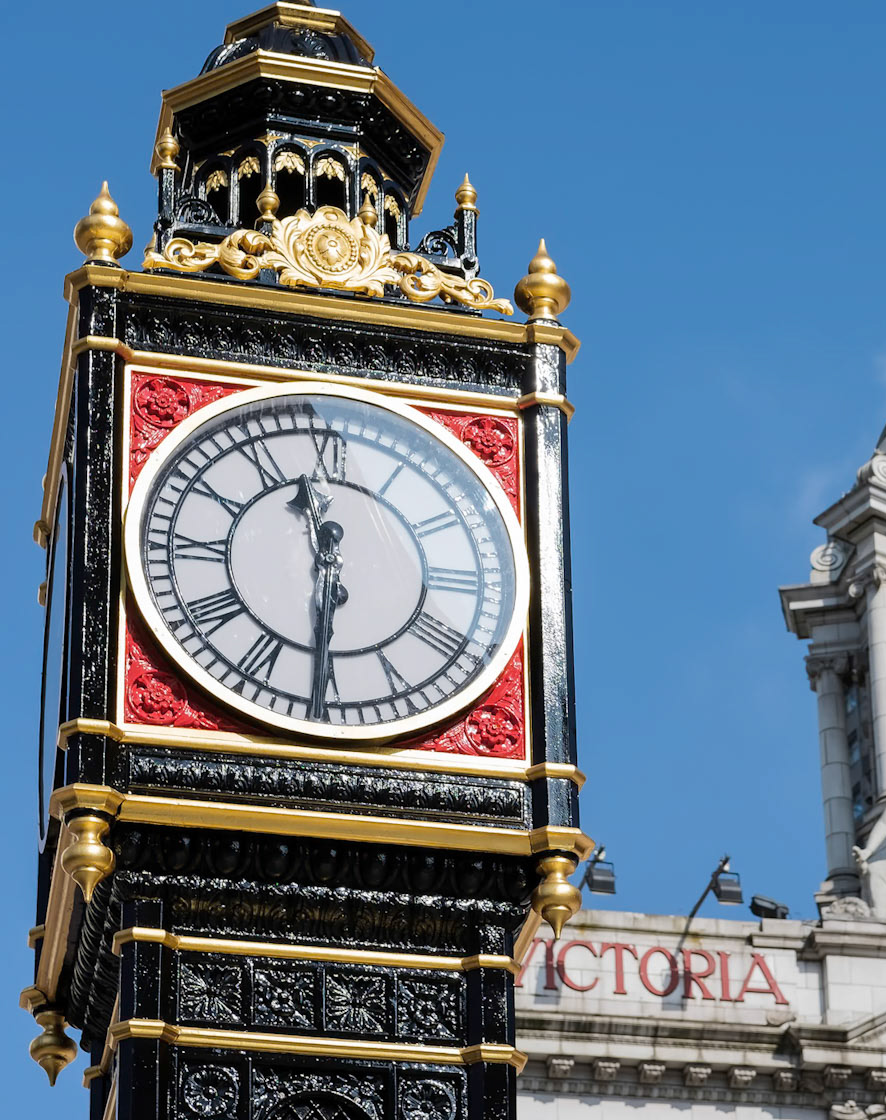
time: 11:30
